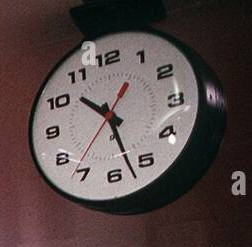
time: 10:27
